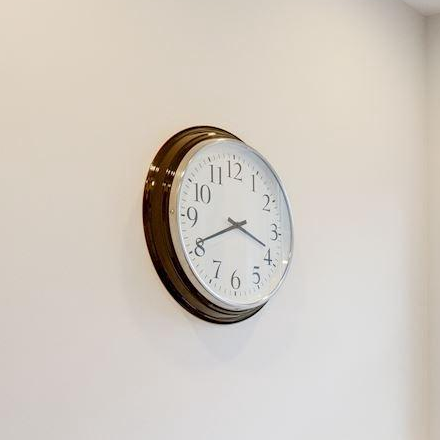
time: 3:40
